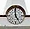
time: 4:59
